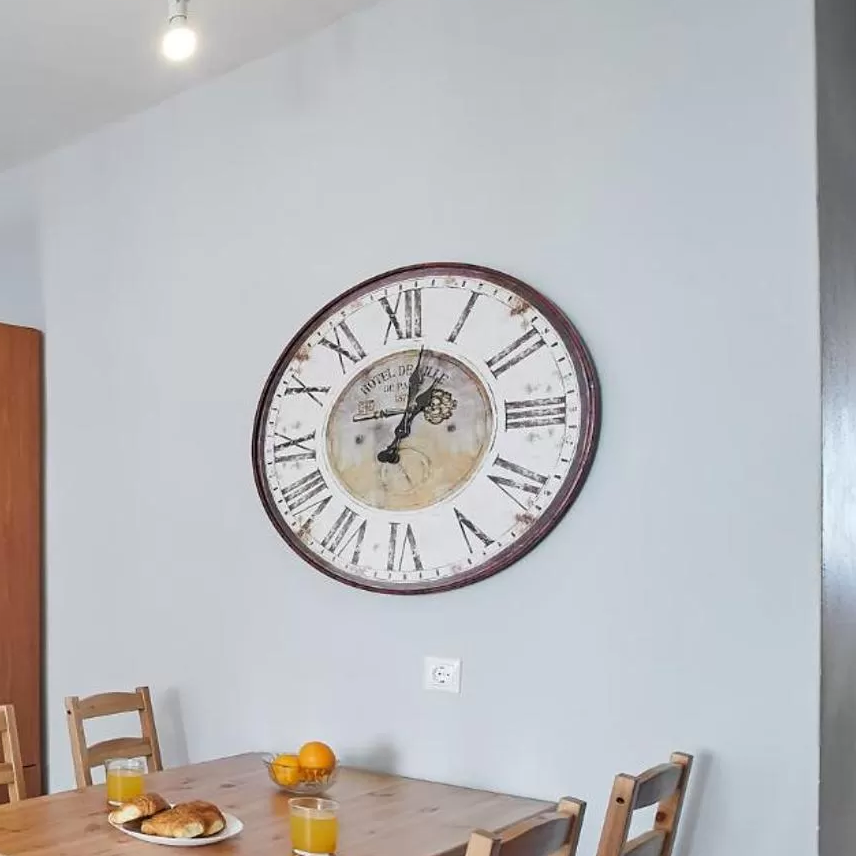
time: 1:02
